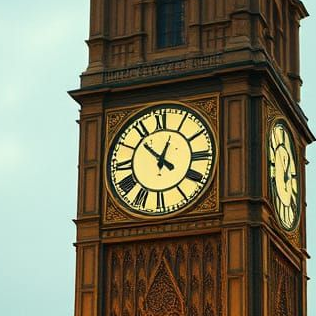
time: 12:52
